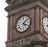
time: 4:07
